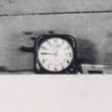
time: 12:46
